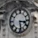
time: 3:28
